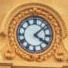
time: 4:08
